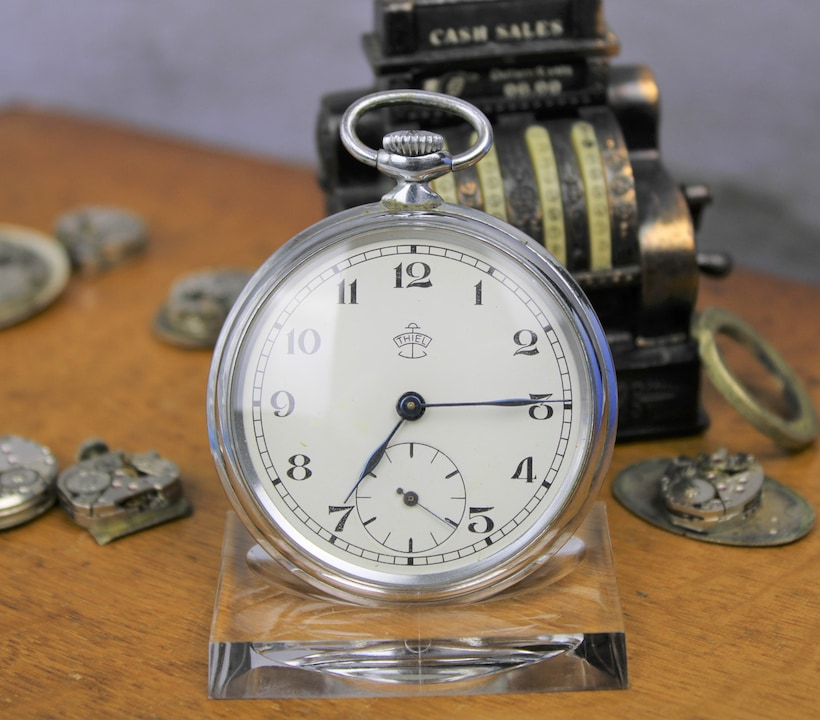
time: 7:14
